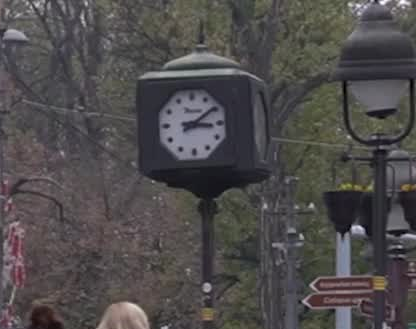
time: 3:09
